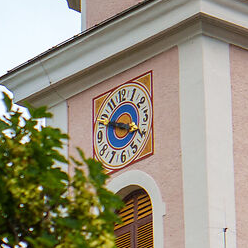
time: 3:48
